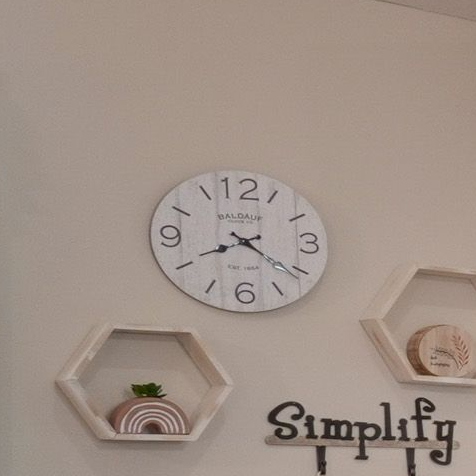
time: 8:21
